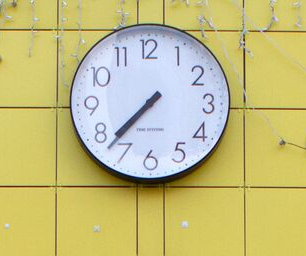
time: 7:37
